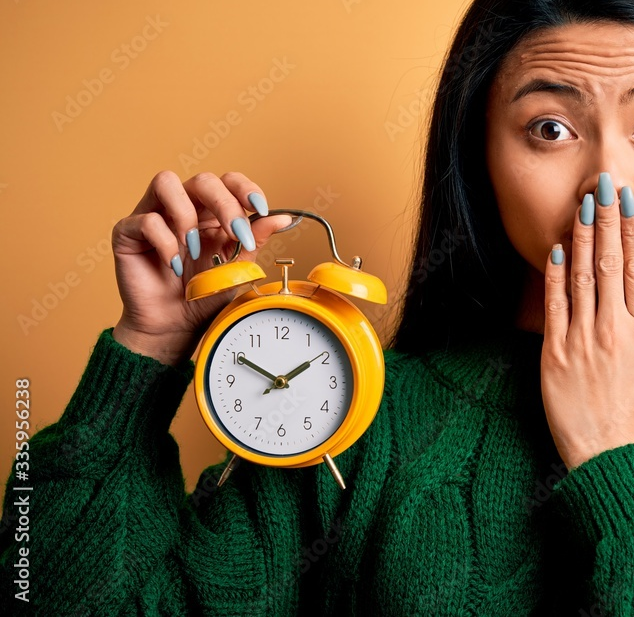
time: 1:50
